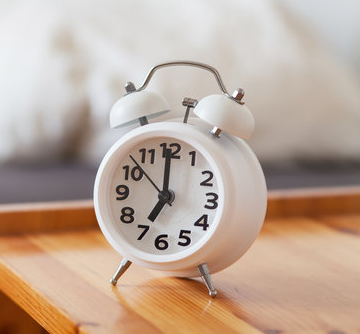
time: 6:59
